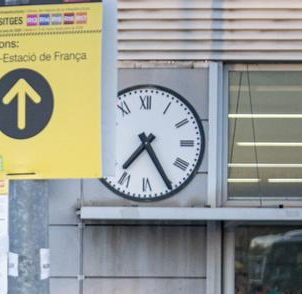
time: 7:25
